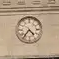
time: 4:36
